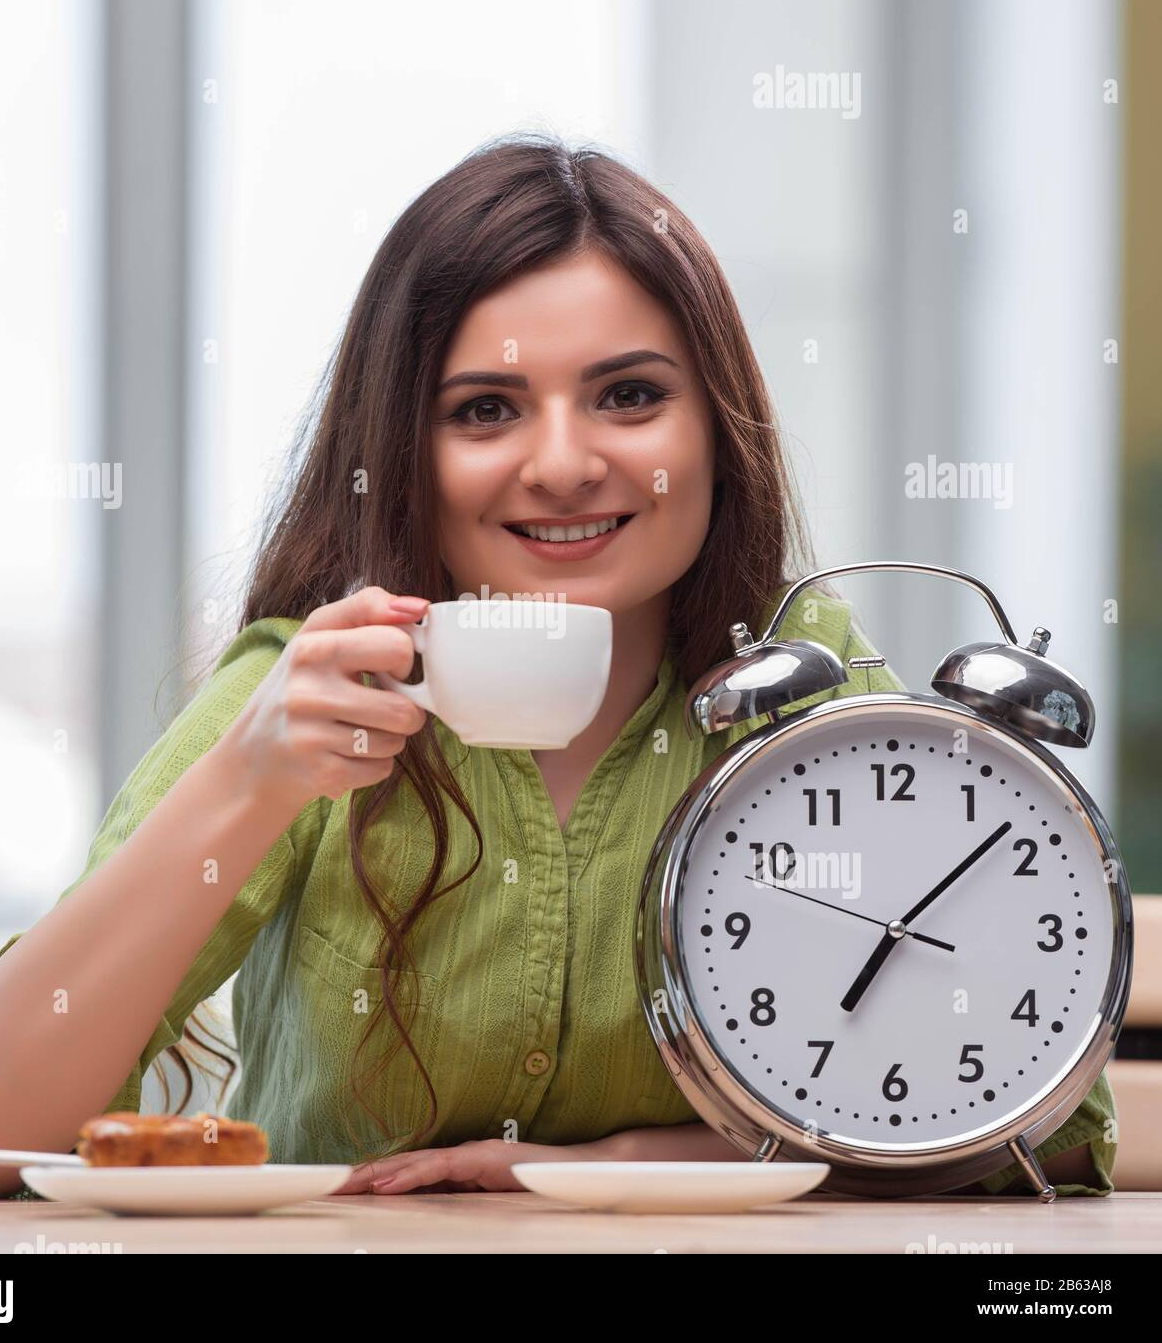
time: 7:07
